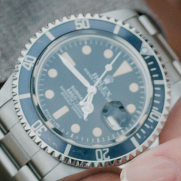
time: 6:54
